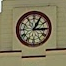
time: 3:04
